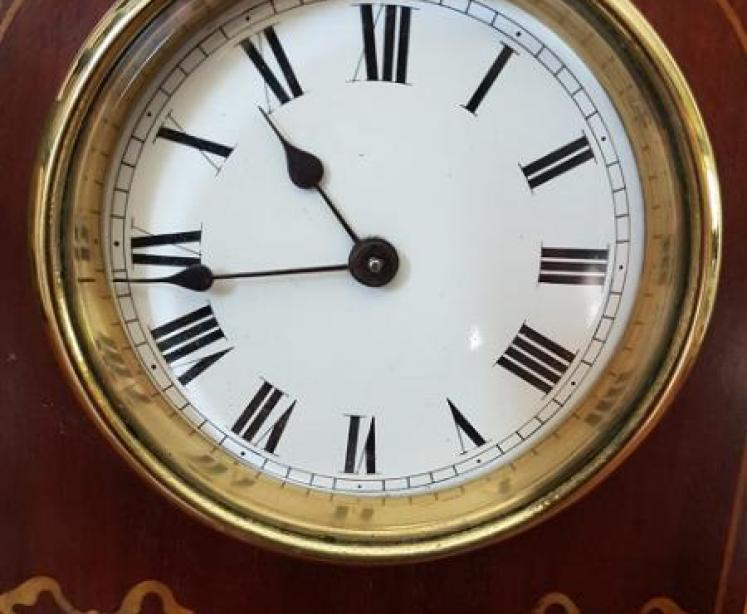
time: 10:43
